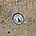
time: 5:22
